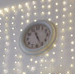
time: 11:25
